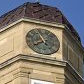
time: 7:55
